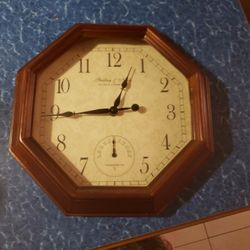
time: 12:44
